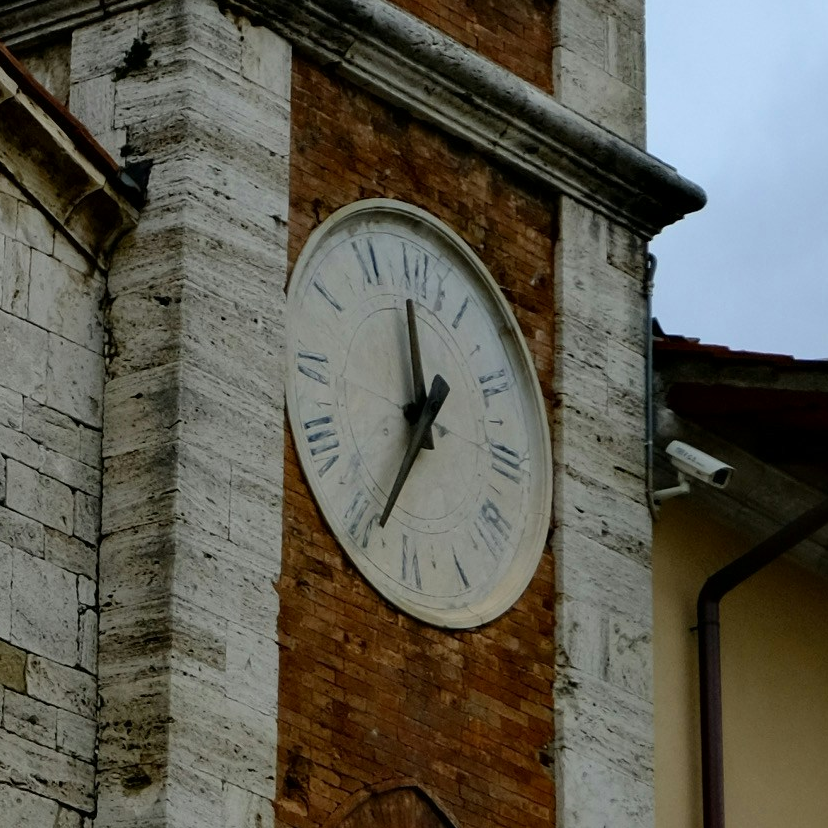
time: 11:34
